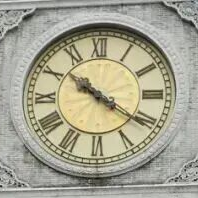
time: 10:20
